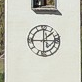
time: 2:45
